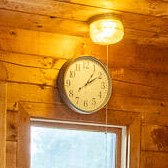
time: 1:09
